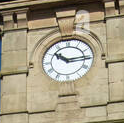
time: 10:14
